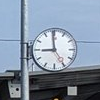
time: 8:59
